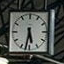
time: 5:31
